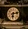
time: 6:12
